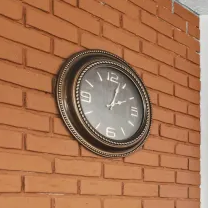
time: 2:03
